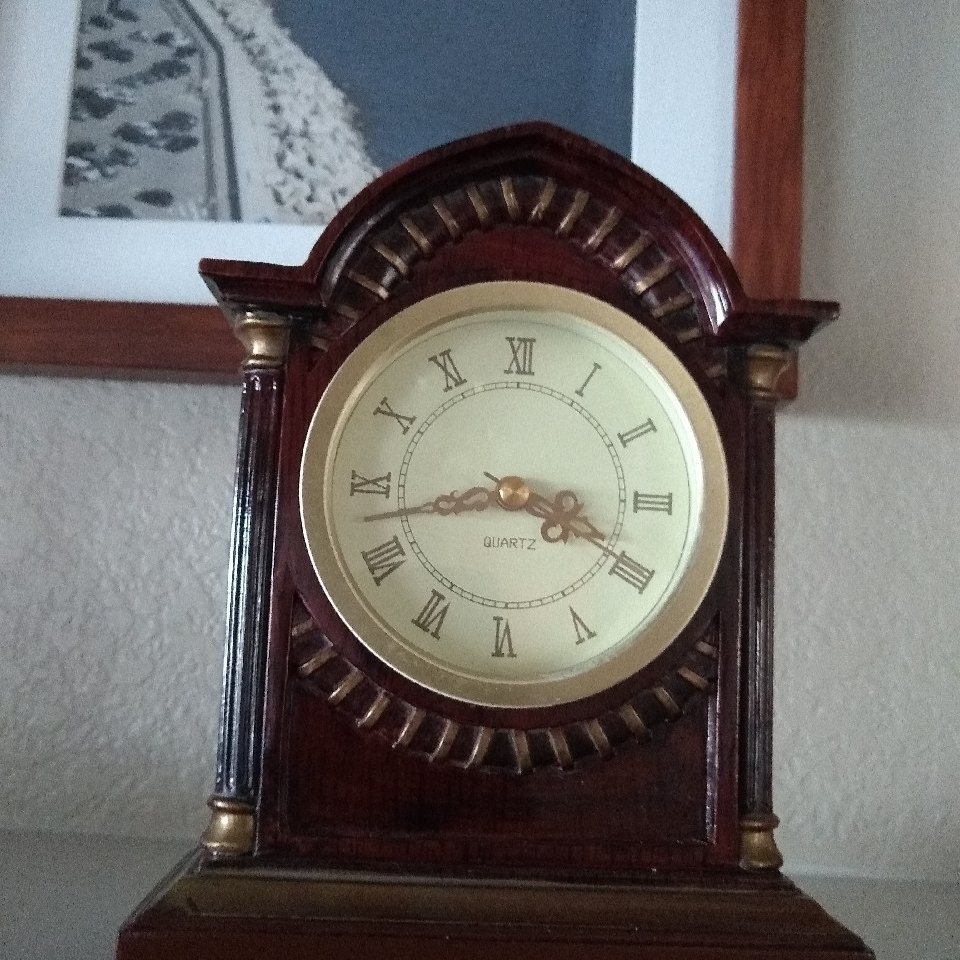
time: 3:42
